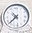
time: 10:38
